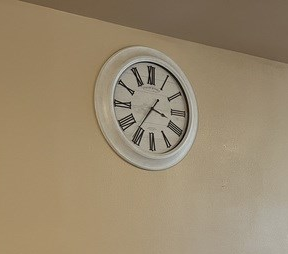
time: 3:36
